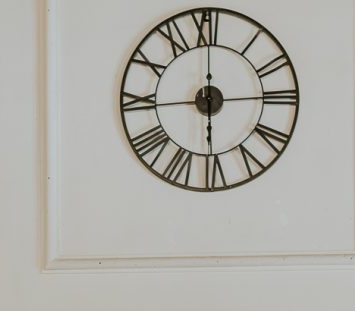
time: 5:59
